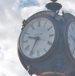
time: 9:35
